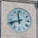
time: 11:41
